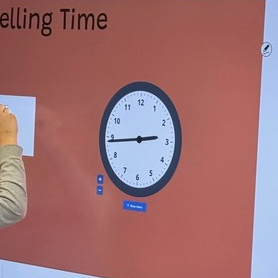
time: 2:43
